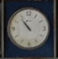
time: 10:53
